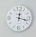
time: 12:17
